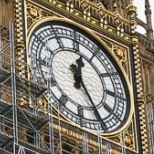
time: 12:24
